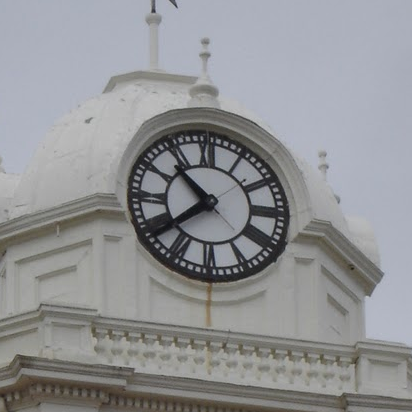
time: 10:38
